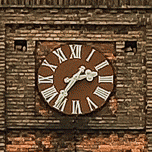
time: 2:36
